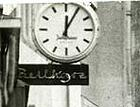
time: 12:04
